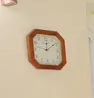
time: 12:09
